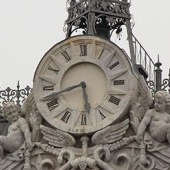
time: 5:42
